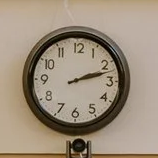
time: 2:12
